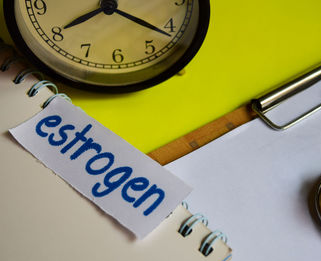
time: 8:21
